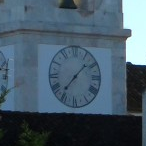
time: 1:36
